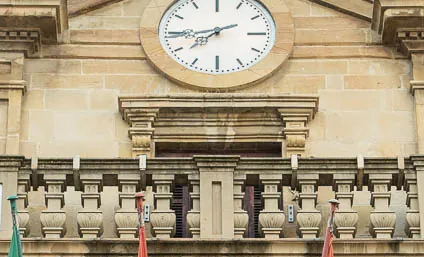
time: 7:44
